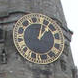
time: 1:02
